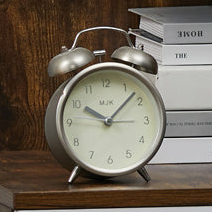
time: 10:07
